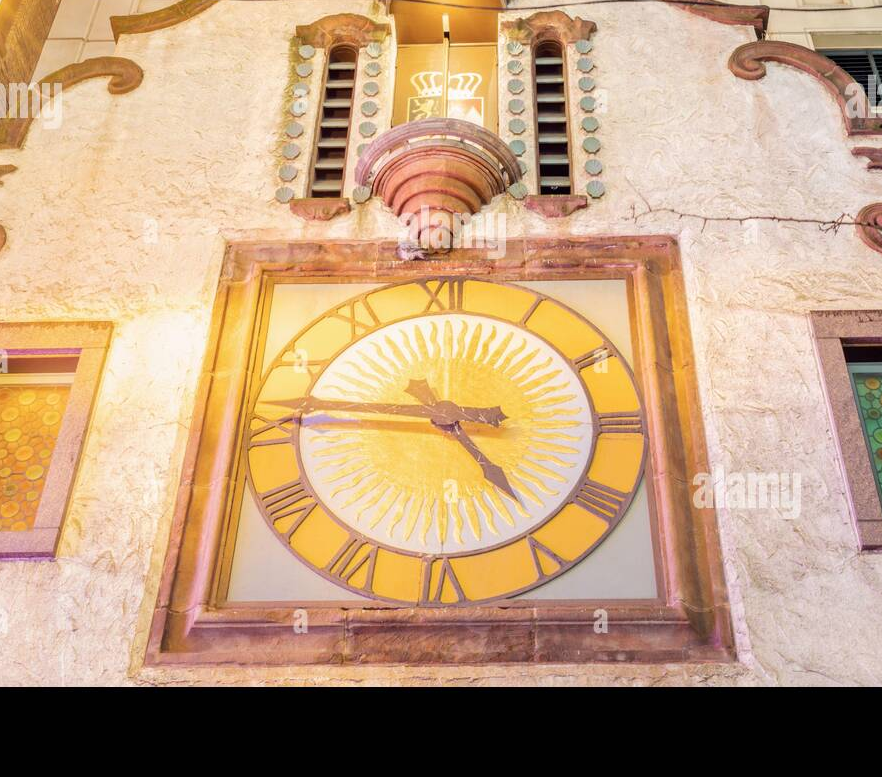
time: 4:45
